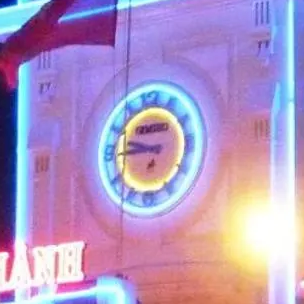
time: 9:45
